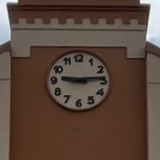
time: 9:13
